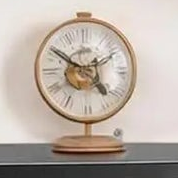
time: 1:50
